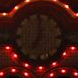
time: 7:00
